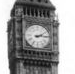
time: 2:14
